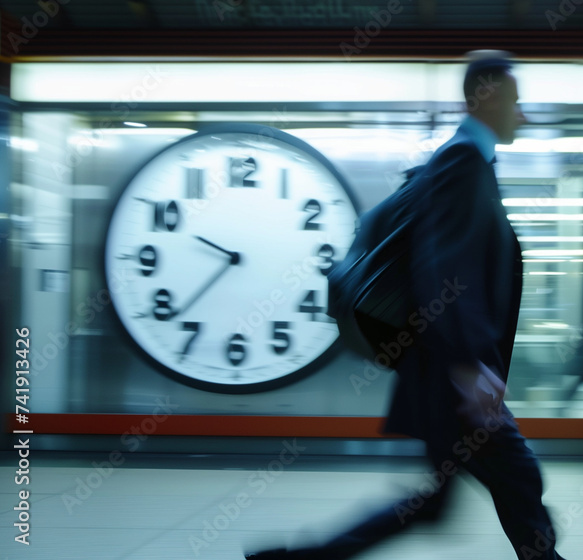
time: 9:37
